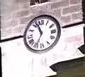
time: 11:34
